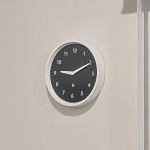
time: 9:10
